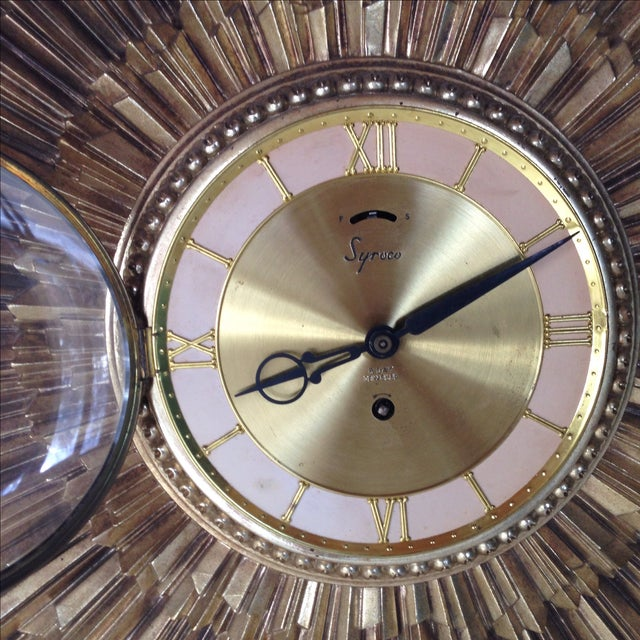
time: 8:10
